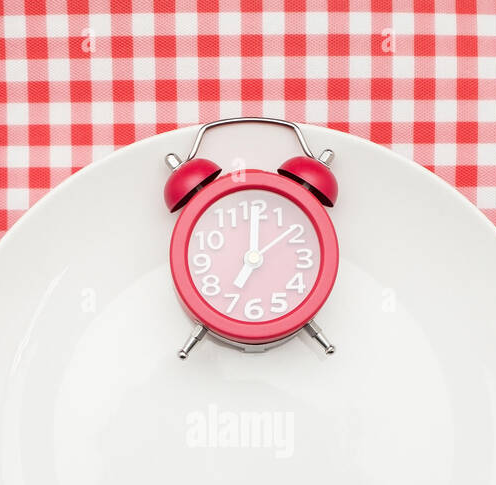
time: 7:01
